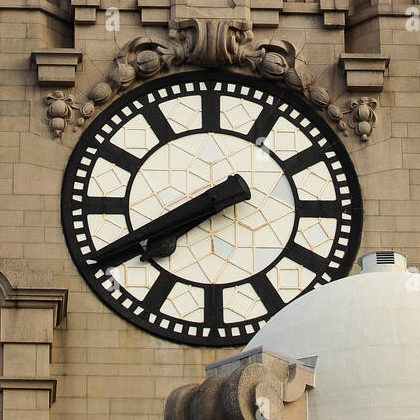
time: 7:40
